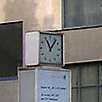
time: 11:06
